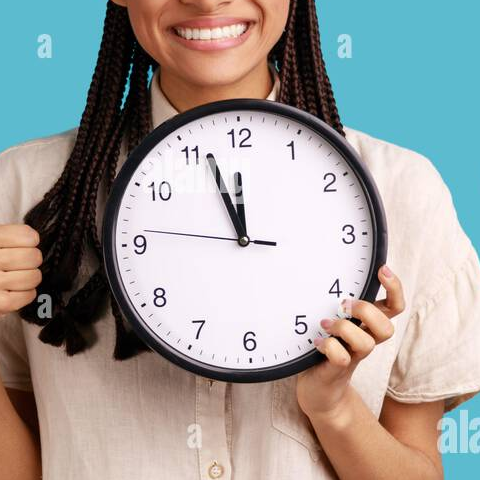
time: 11:56
